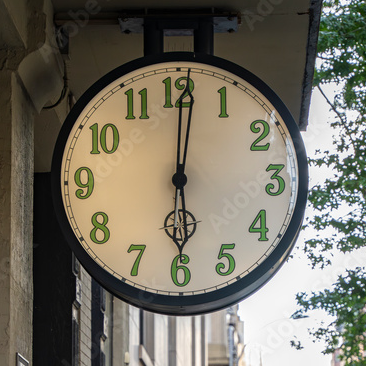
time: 6:00
